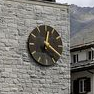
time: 12:21
